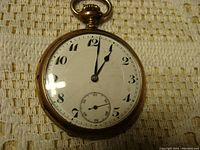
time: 1:01
